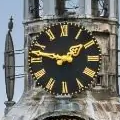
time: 1:47
